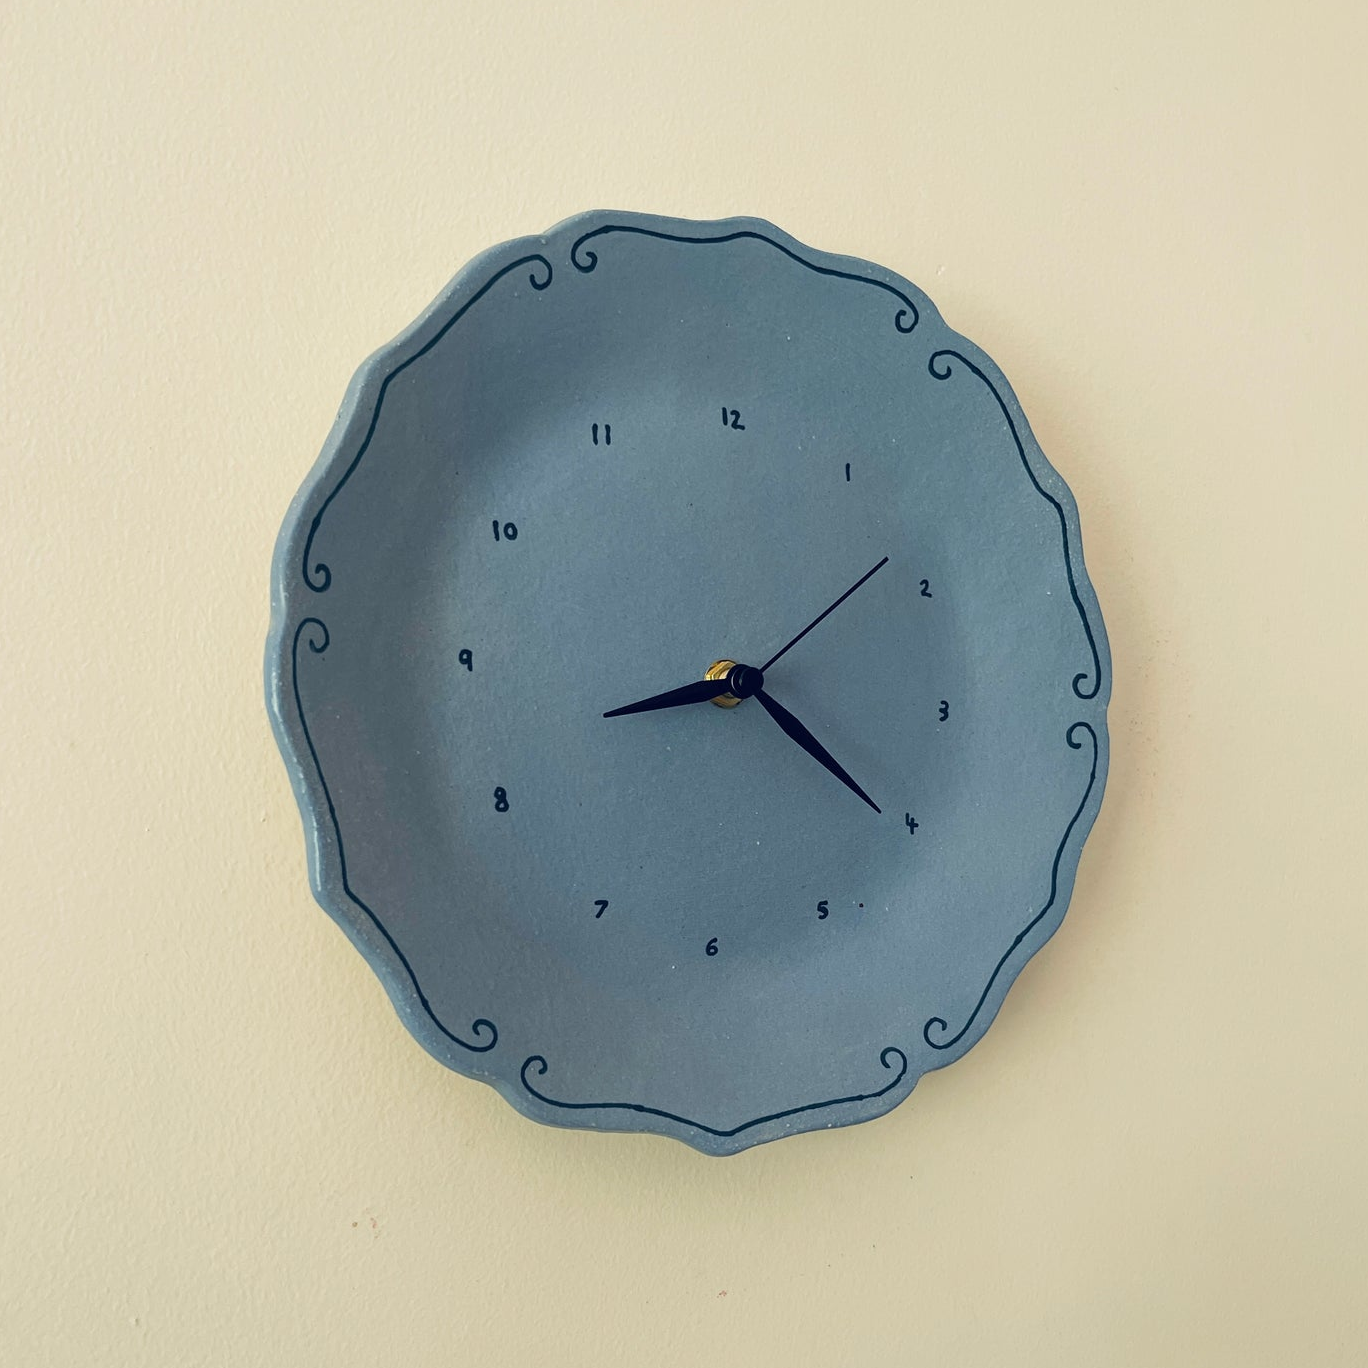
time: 8:20
